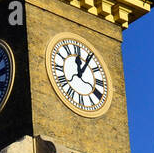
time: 12:05
